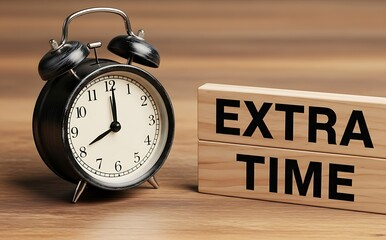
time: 8:01
